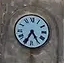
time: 4:34
